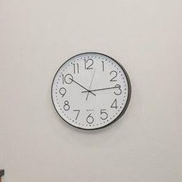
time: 10:13
